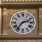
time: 2:36
